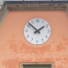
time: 1:51
